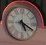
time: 5:19
